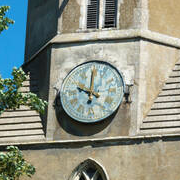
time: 10:00
